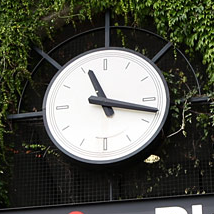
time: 11:17
